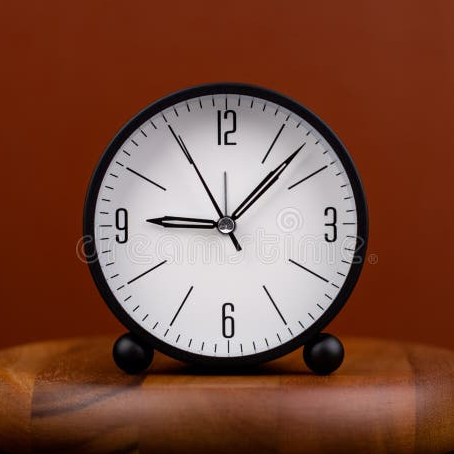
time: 9:07
